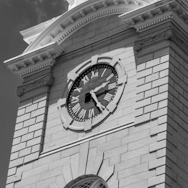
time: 2:23
